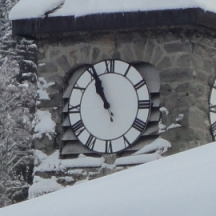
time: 10:55
